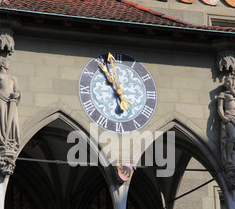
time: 5:54
